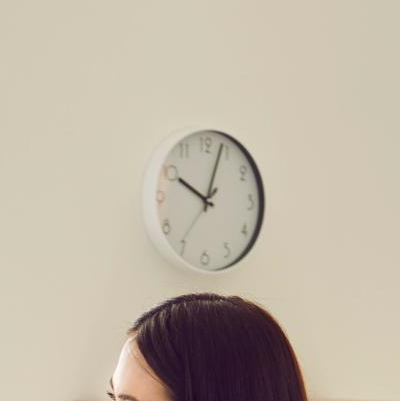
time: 10:03
